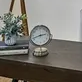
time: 2:41
